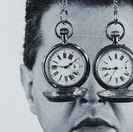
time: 1:46
